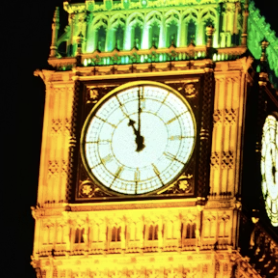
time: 10:59
